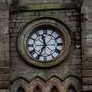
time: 11:34
